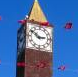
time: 2:50
